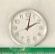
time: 2:01
